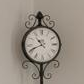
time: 10:41
